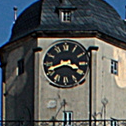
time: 3:41
